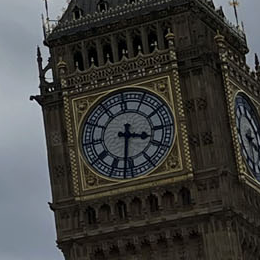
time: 3:31
